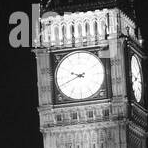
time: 9:41
